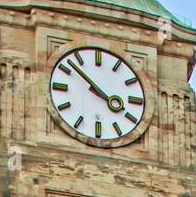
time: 3:52
